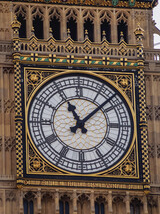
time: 11:07
